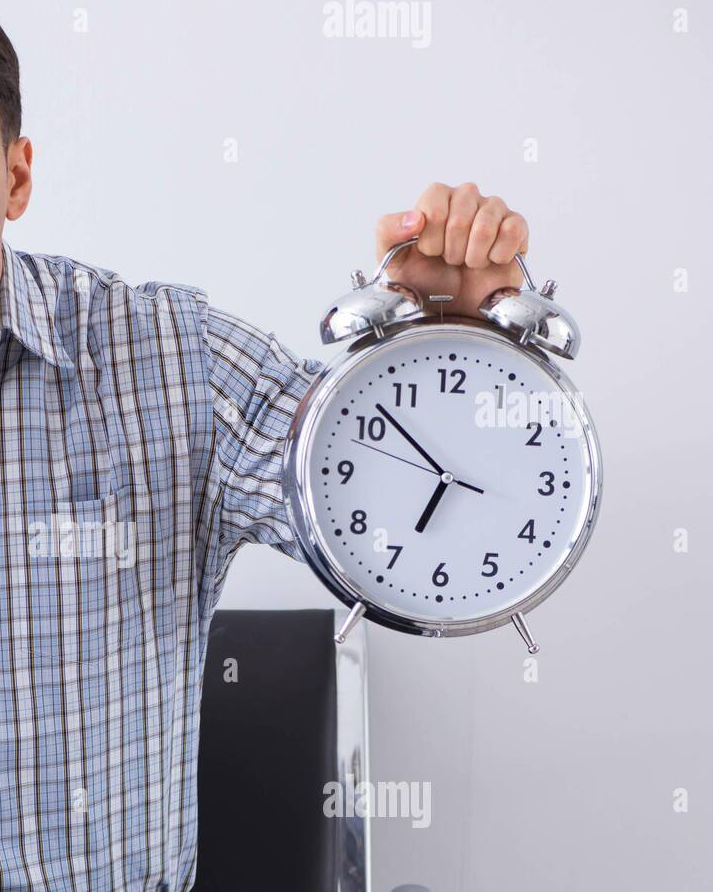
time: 6:52
